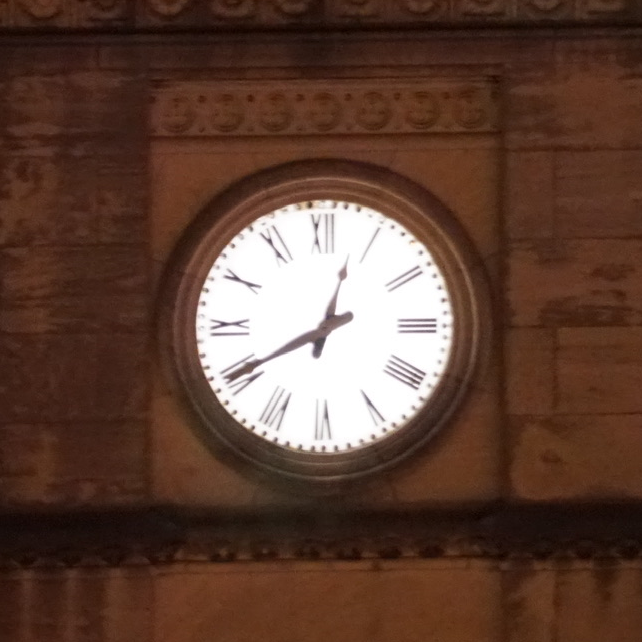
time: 12:40
